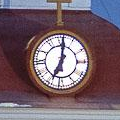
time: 7:01
